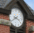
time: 3:40
